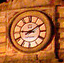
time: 9:09
